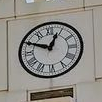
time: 12:49
